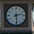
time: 2:29
